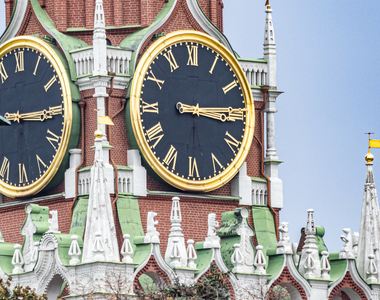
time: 3:14
